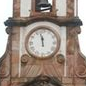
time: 11:57
